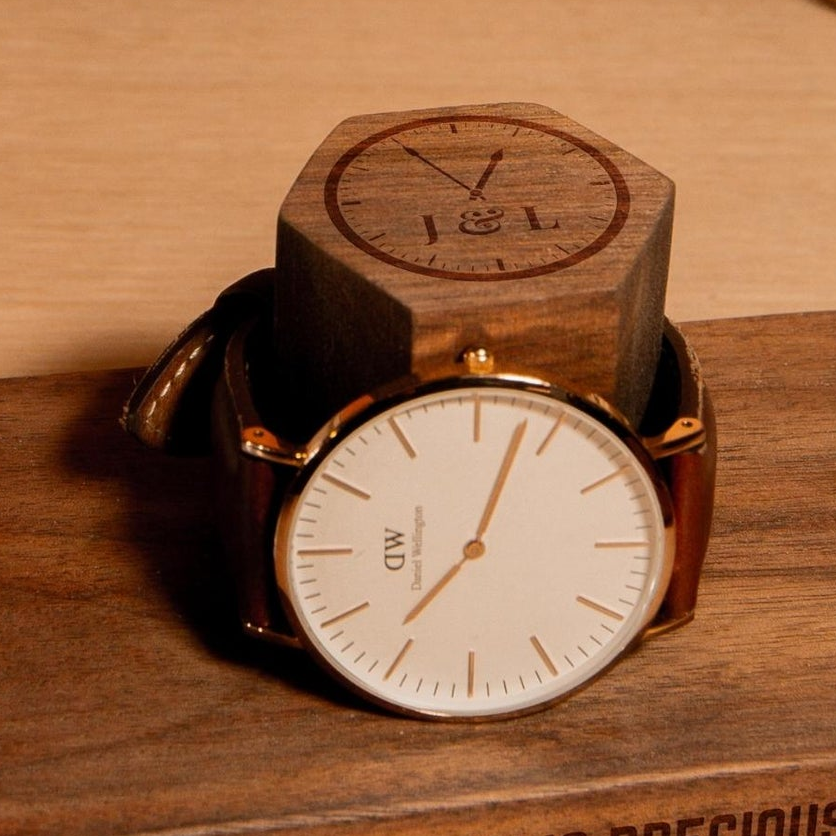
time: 7:03
